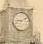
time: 9:10
